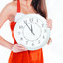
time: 11:54
